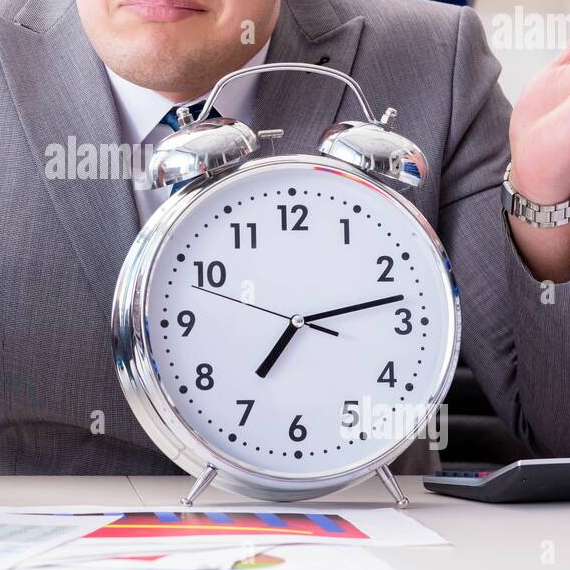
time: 7:13
